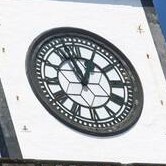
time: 12:57
